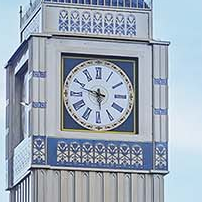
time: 5:48
